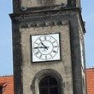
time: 10:45
